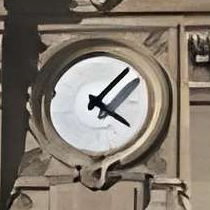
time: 4:07
